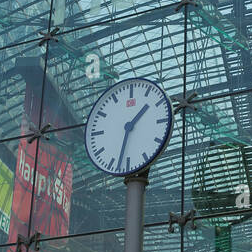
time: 1:32
